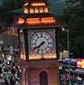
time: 7:40
